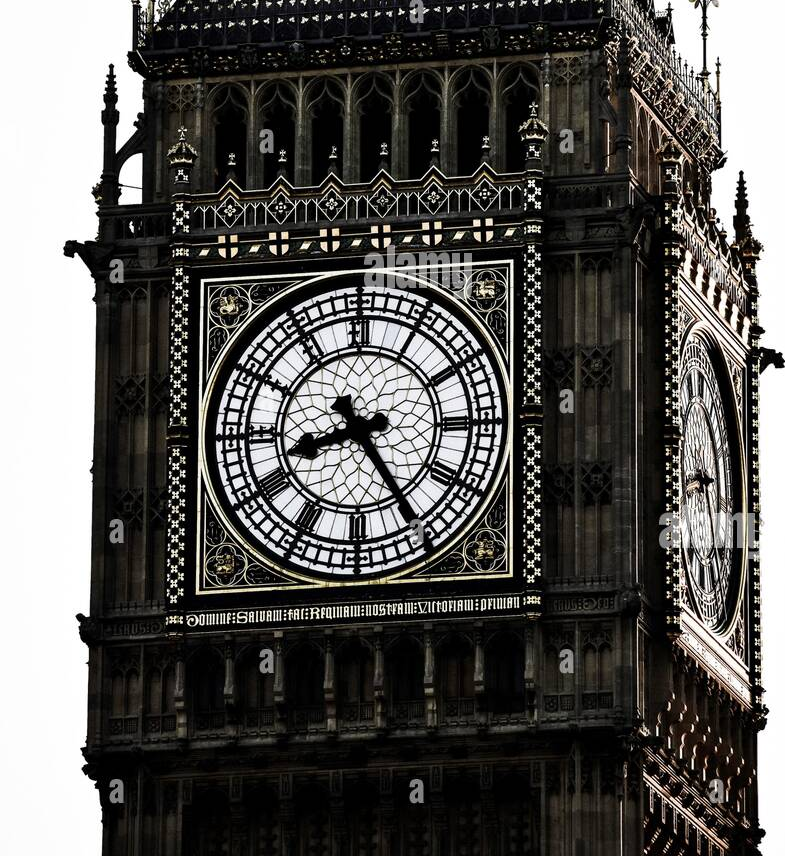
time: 8:24
